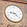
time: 9:22
